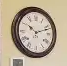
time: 10:12
